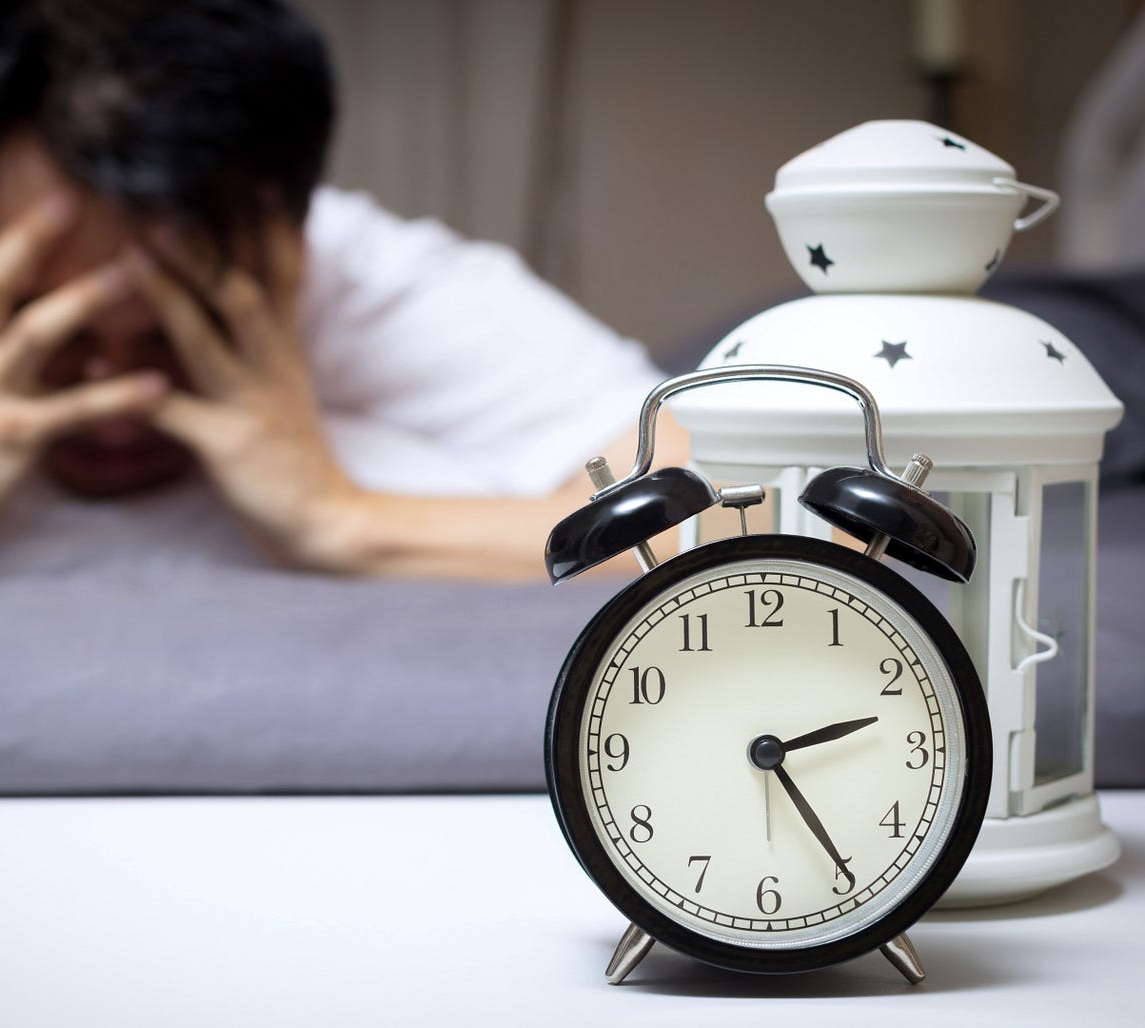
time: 2:24
